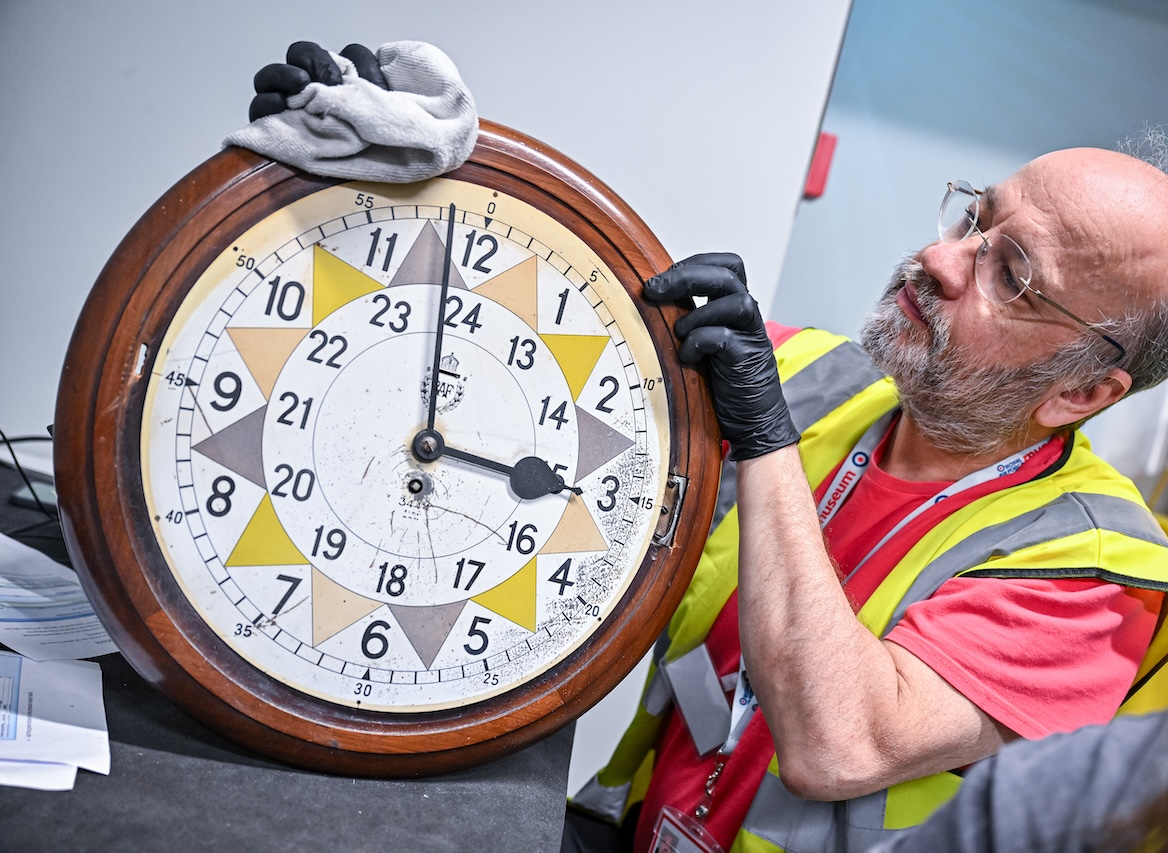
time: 2:58
